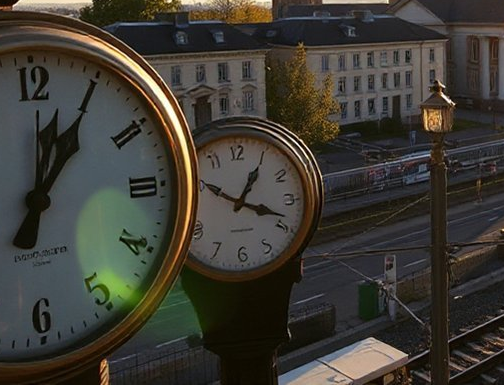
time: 1:18
